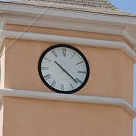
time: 10:21
